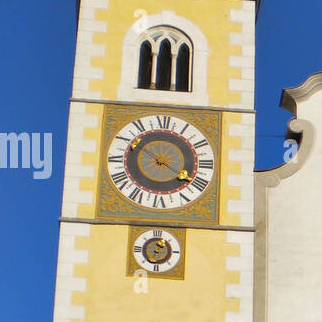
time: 10:20
